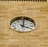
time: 4:01
